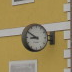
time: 8:50
